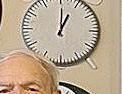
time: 1:00
